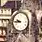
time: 9:44
